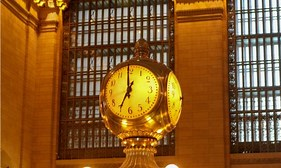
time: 7:00
